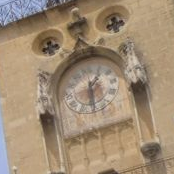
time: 12:28
